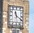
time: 11:20
